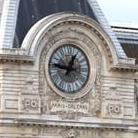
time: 12:46
